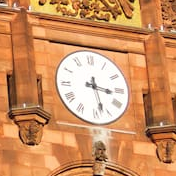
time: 3:27
